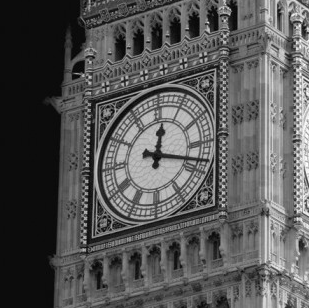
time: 12:18
